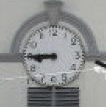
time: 8:45
